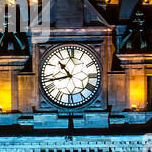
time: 10:42
